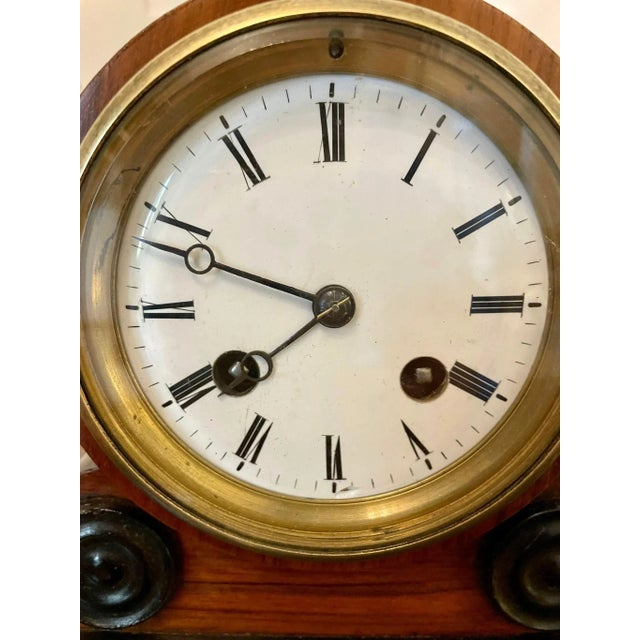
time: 7:48
